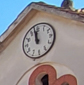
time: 11:58
